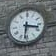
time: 3:31
